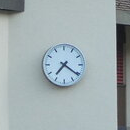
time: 7:20
